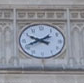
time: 9:41
